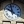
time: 9:57
